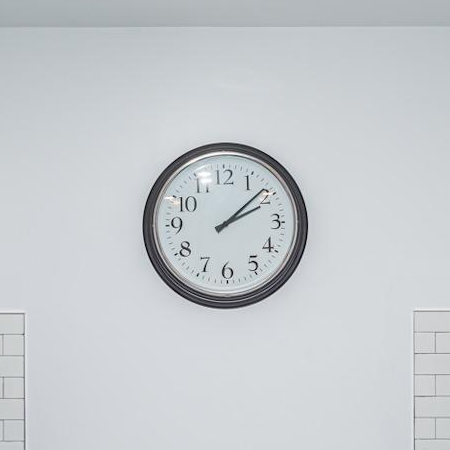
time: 2:08
